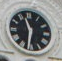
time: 11:31
